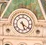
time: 5:20
